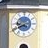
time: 9:40
